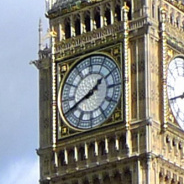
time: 1:41
